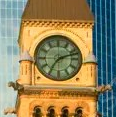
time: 7:11
